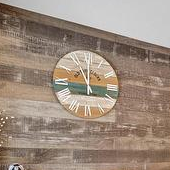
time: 11:00
